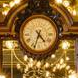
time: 4:33
